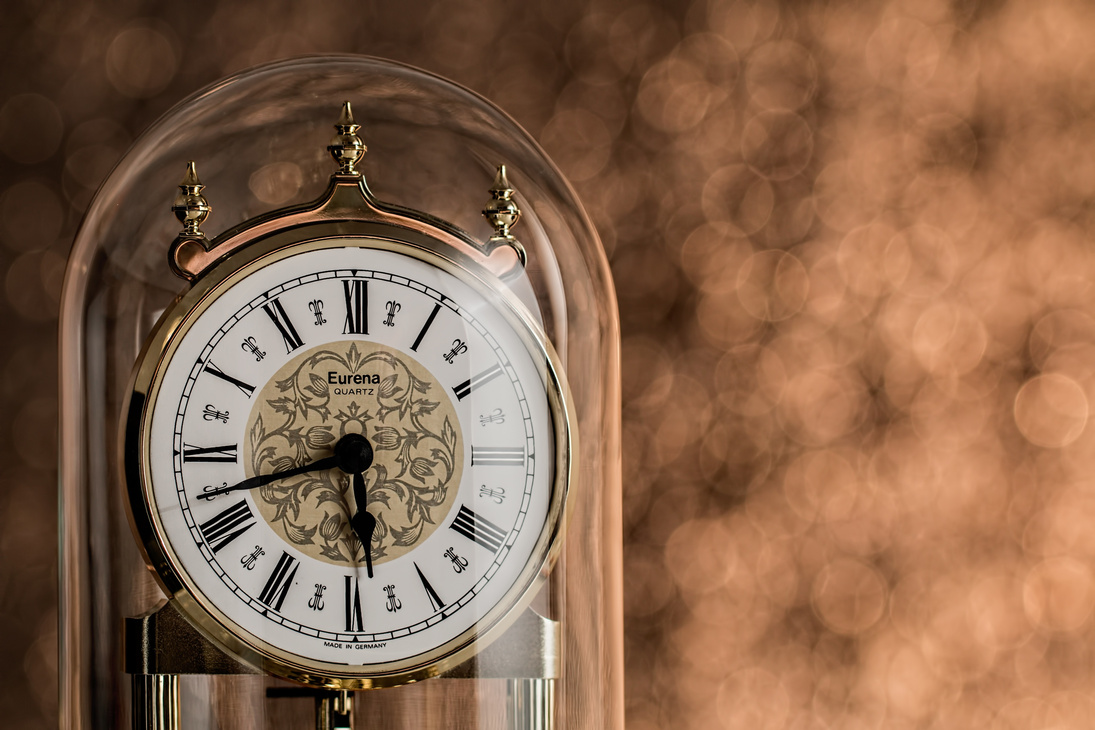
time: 5:42
